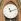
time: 11:12
